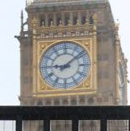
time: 9:08
